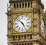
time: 4:52
